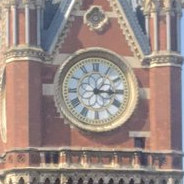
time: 3:05
